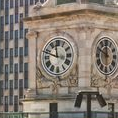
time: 11:48
